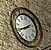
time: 1:40
